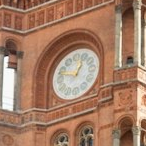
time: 12:47
